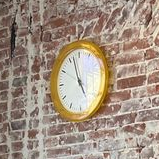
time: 4:57
